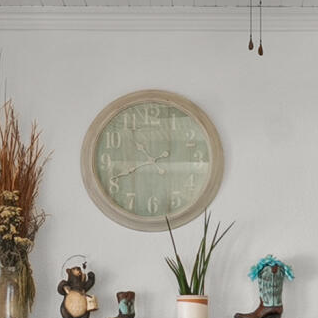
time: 8:15
